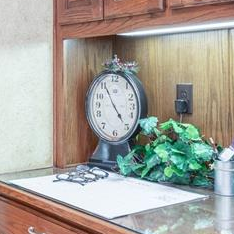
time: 4:55
